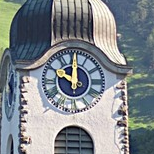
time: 10:00
